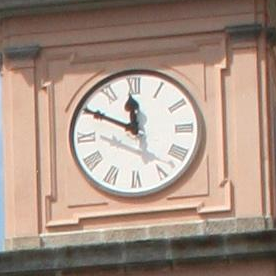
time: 11:49
